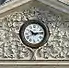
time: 10:13
